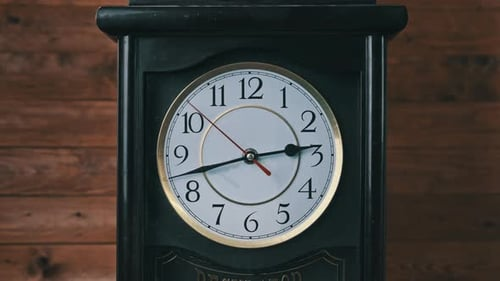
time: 2:42
